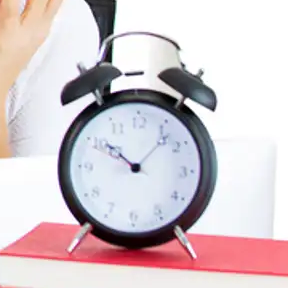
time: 10:07
